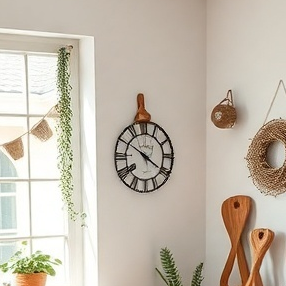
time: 10:20
